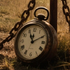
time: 11:10
